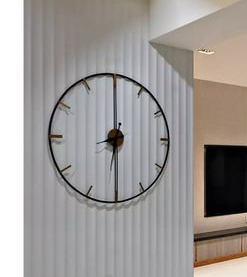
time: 6:00
